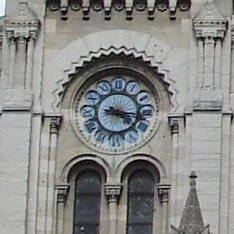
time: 4:16
